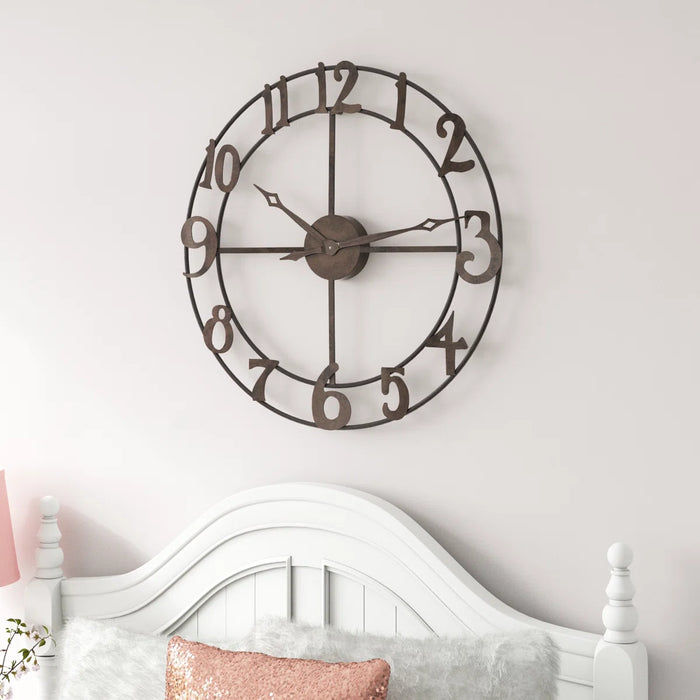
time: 2:45
